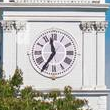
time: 11:35
